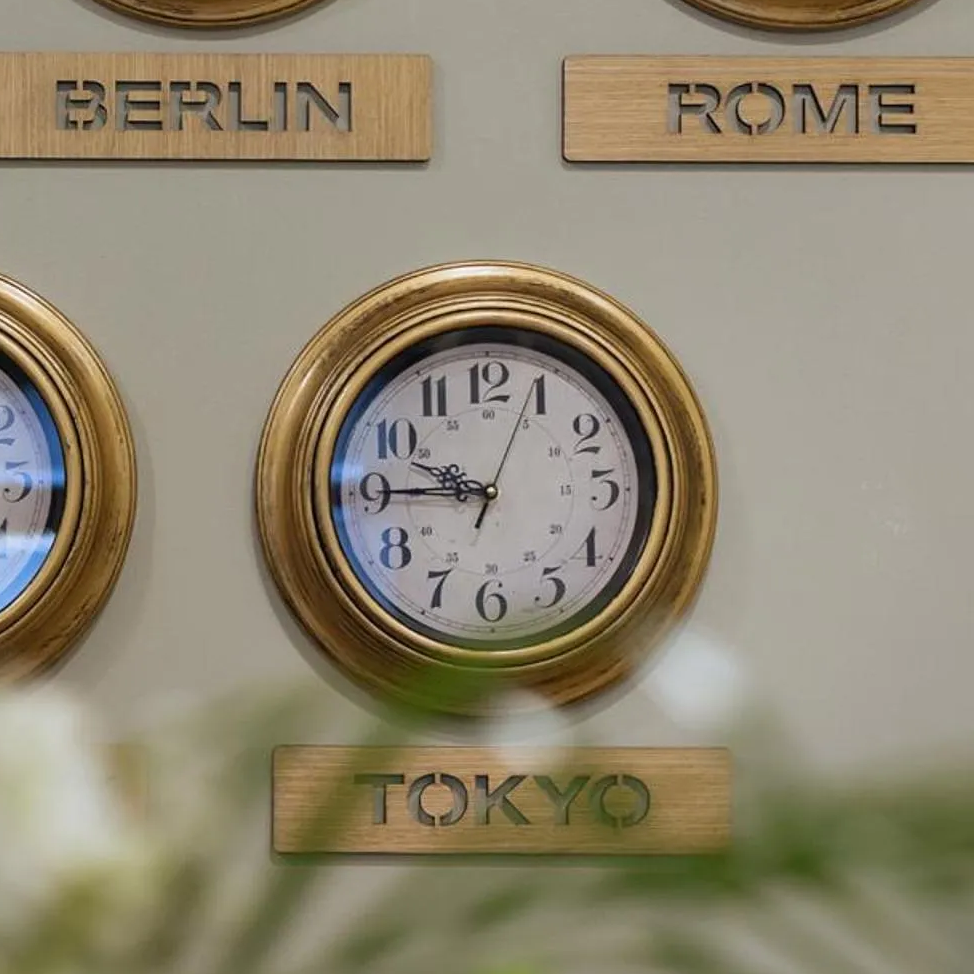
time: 9:44
